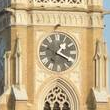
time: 1:18
